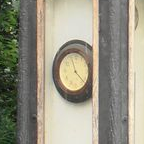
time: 11:21
